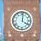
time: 4:01
